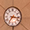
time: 7:16
